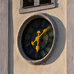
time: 6:08
